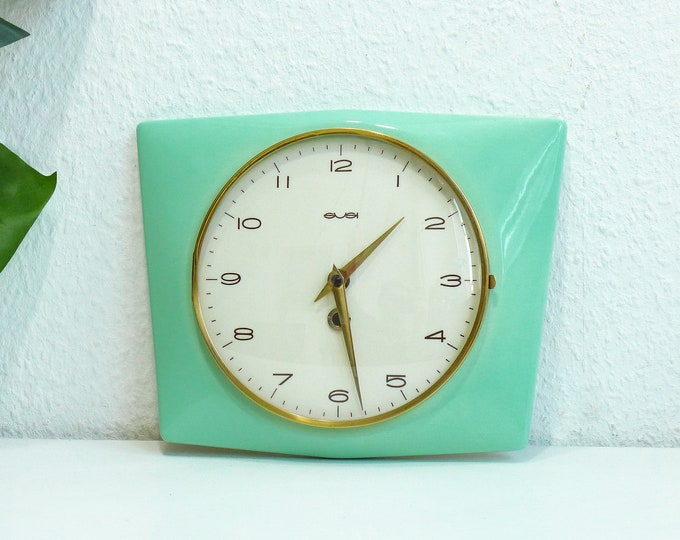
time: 1:28
